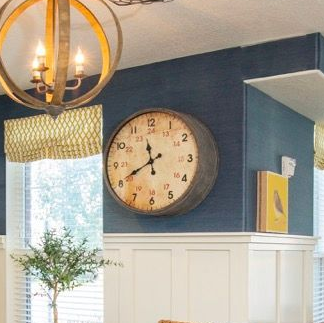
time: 11:40
